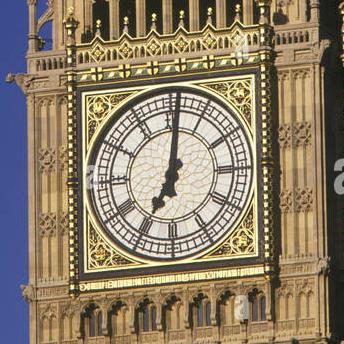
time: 7:01
